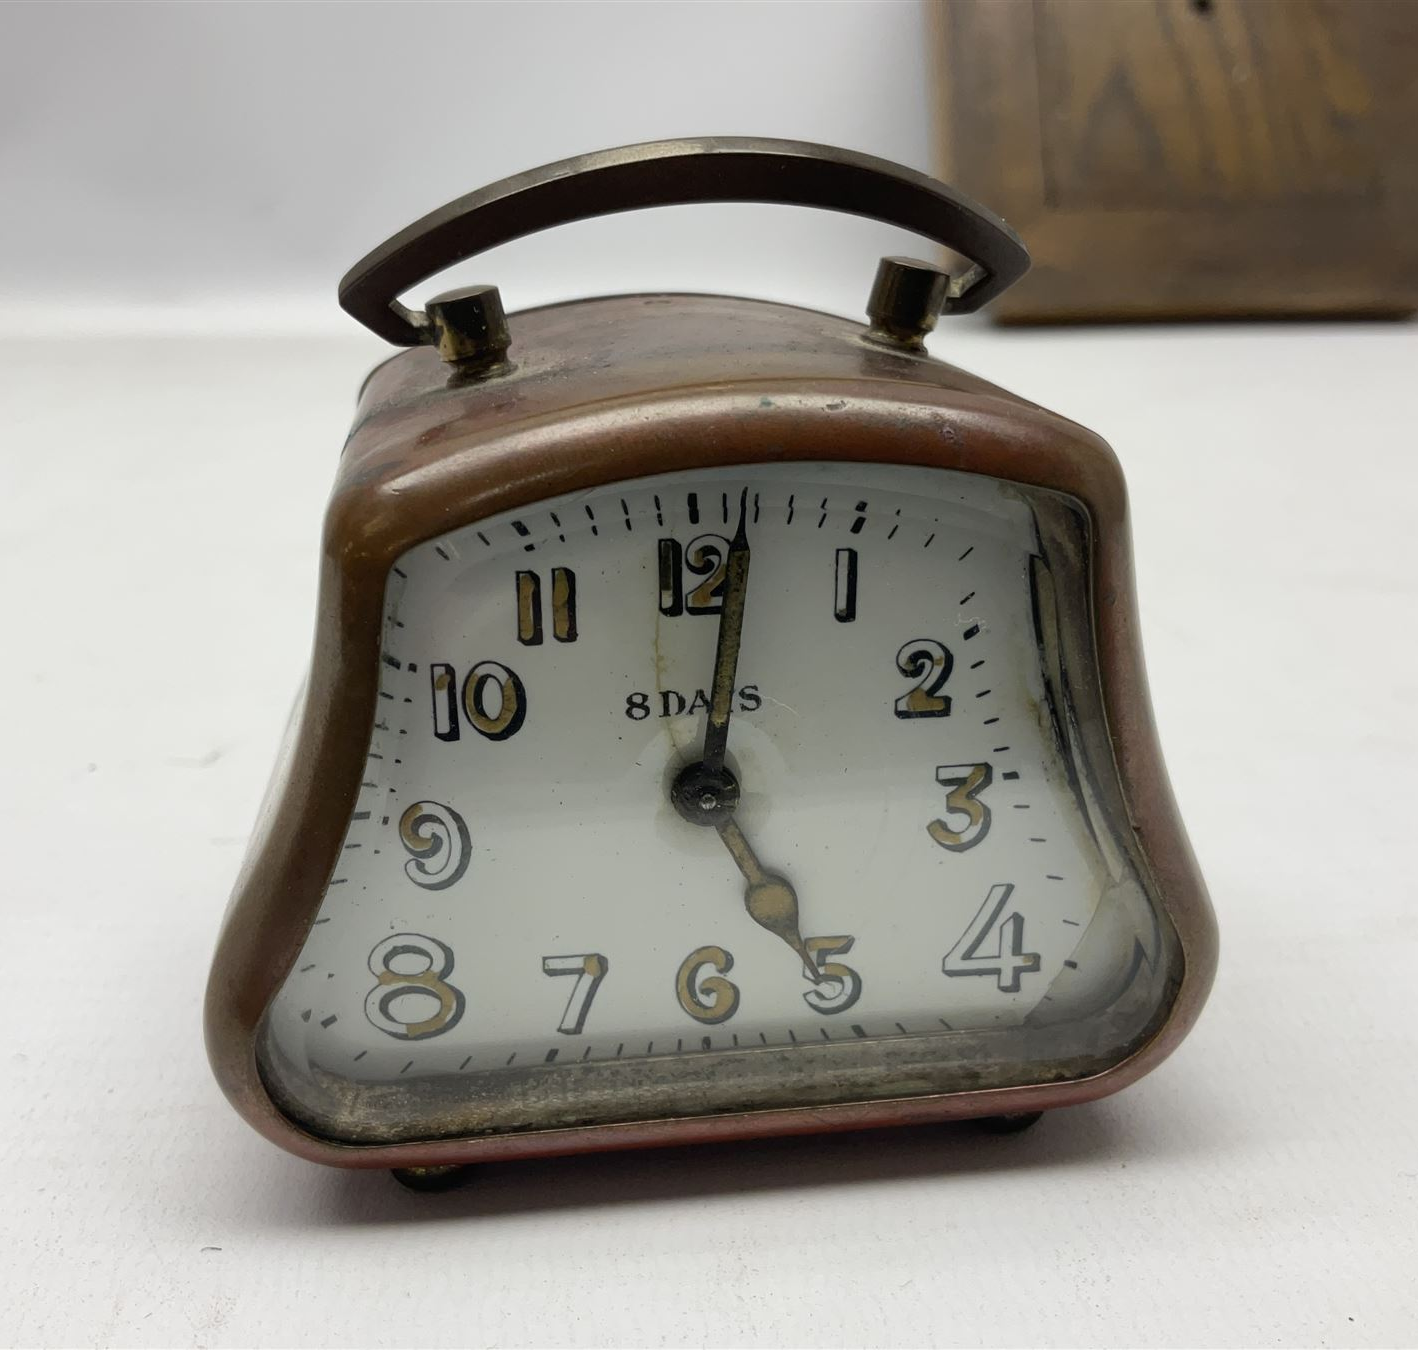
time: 5:01
